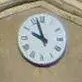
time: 9:57
